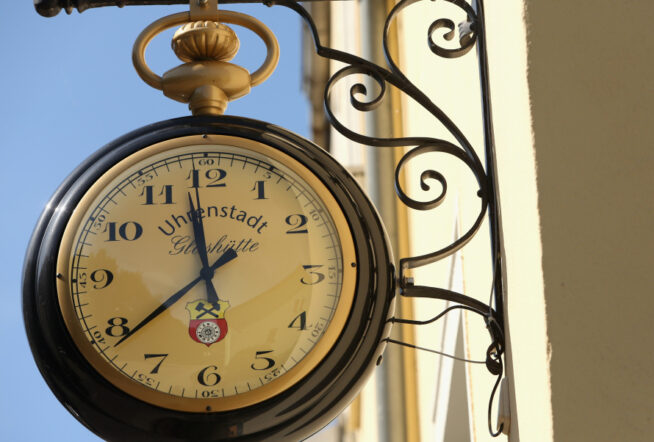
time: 11:38
